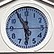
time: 5:54
